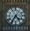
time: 4:35
